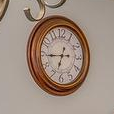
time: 6:44
